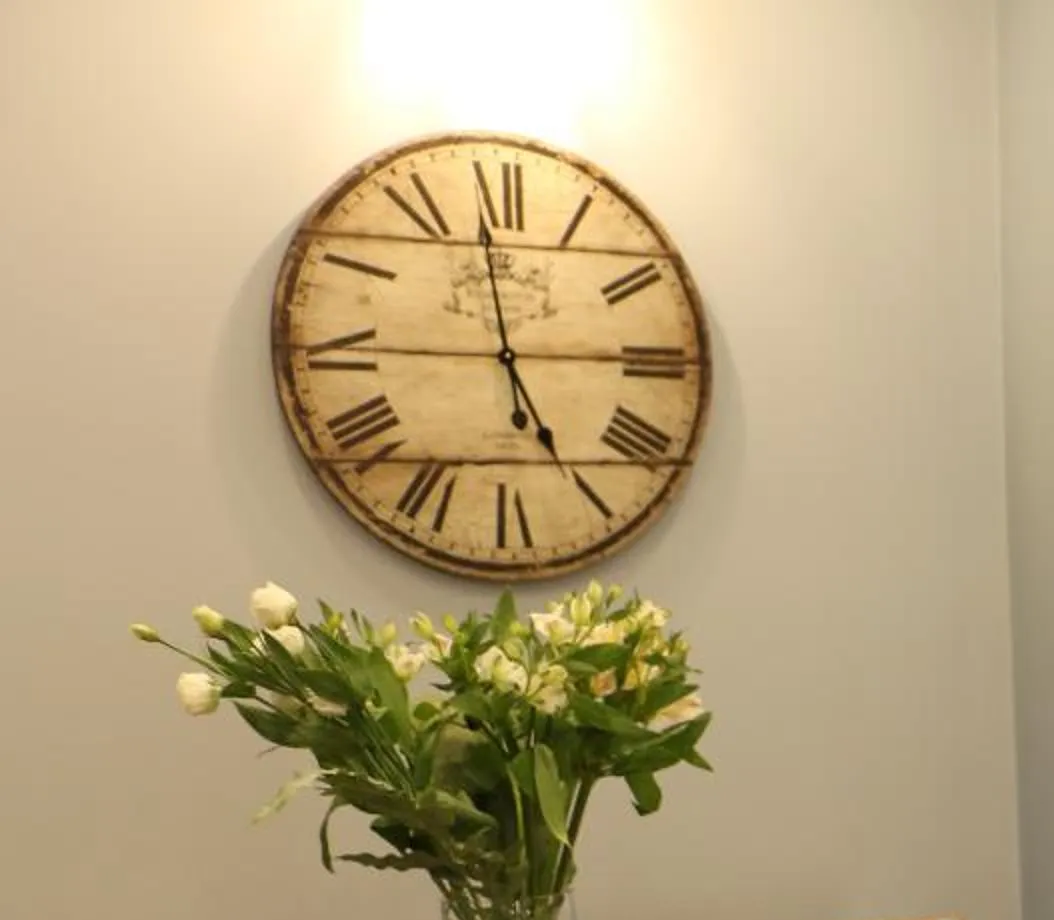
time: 4:58
